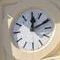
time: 12:10
